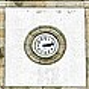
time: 3:13
